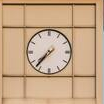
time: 7:37
